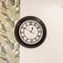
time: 12:49
